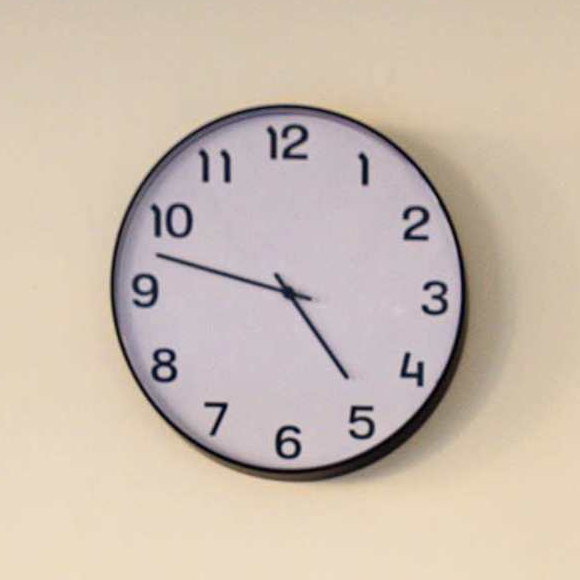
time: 4:47
